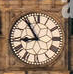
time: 8:54
